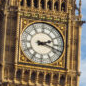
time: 2:18
